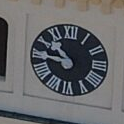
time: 10:45
